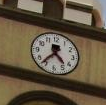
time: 4:36
